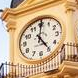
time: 5:00
